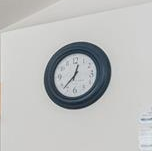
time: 12:37
